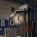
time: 12:22
